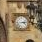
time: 3:13
